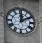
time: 2:00
